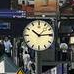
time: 10:13
